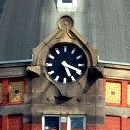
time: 5:18
